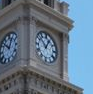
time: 12:52
